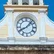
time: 8:07
